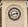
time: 2:42
